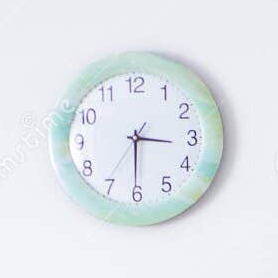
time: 3:30
